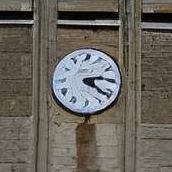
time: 4:14
